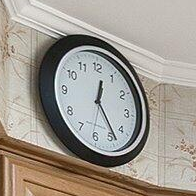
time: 12:23
